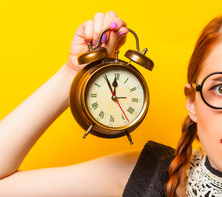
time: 11:55
